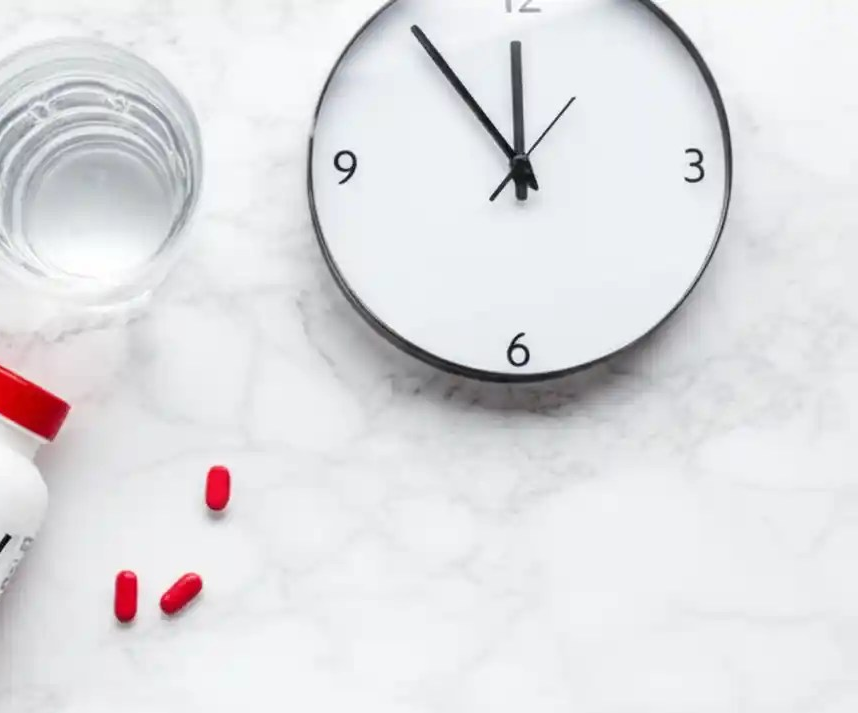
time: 11:53
